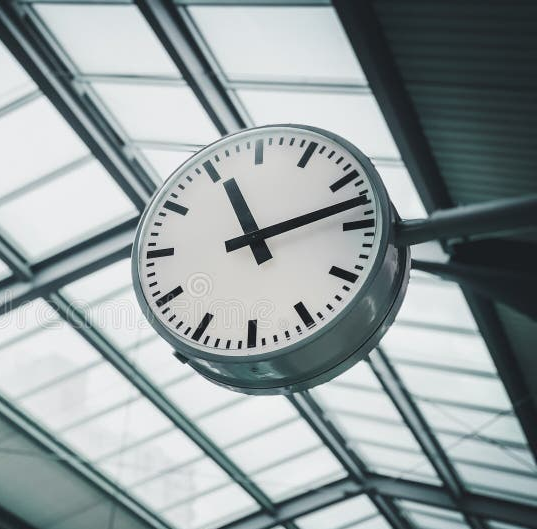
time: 11:12
